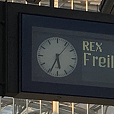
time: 5:34
